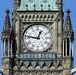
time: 12:47
